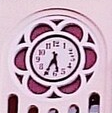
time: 5:34
